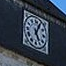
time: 5:04
